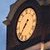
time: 7:37
